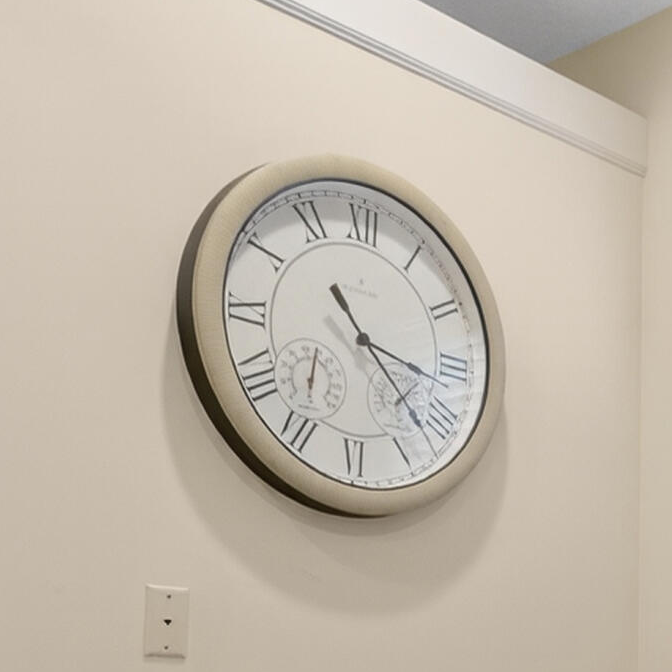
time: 3:22
